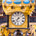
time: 7:32
